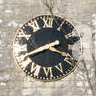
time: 3:40
